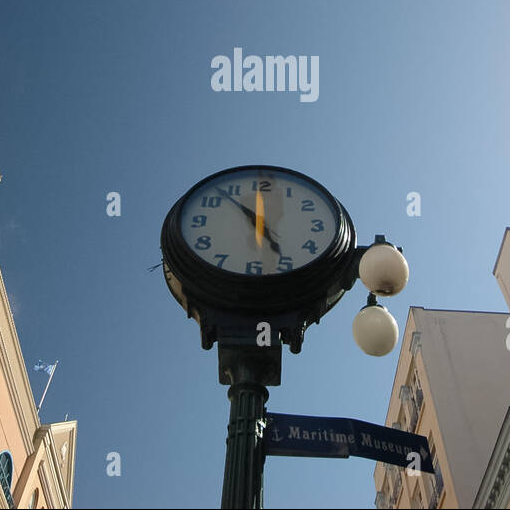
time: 4:53
